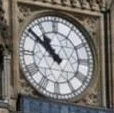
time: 10:51
